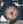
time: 5:06
